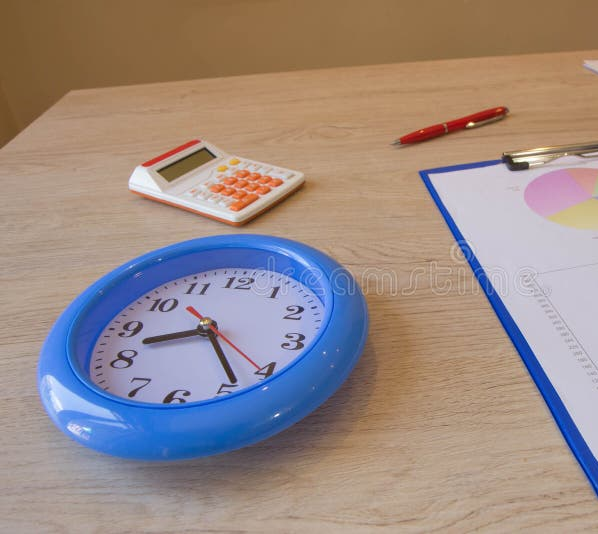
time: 8:23
